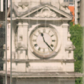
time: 11:22
